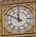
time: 11:49
